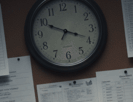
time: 3:49
